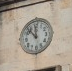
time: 11:53
